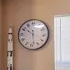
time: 10:28
